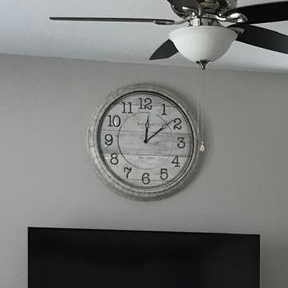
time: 12:08
